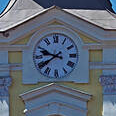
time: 9:39
